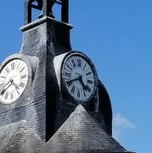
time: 4:40
